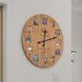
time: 12:12
